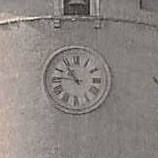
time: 10:45
